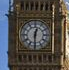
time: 12:30
